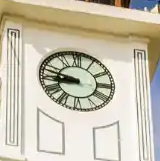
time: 8:47
